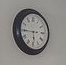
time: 5:45
